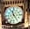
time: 11:24
